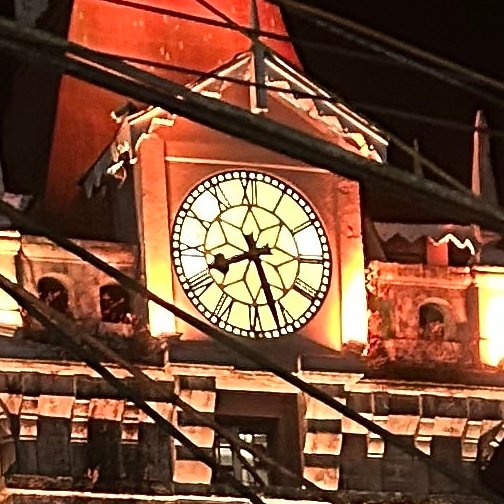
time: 8:26
